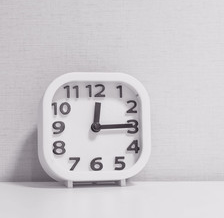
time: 12:14
